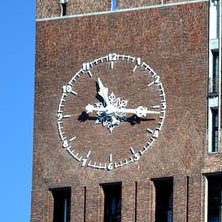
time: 11:16
